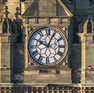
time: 10:04
